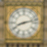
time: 8:12
